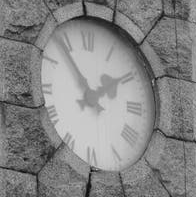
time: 1:54
